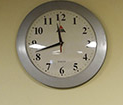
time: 11:42
